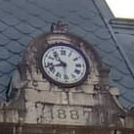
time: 10:42
